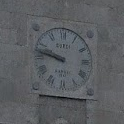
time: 9:47
